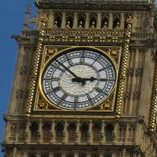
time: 2:52
